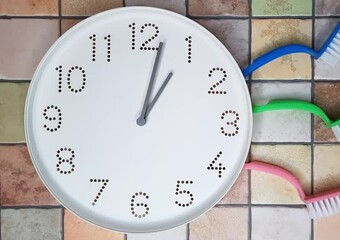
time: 1:02
